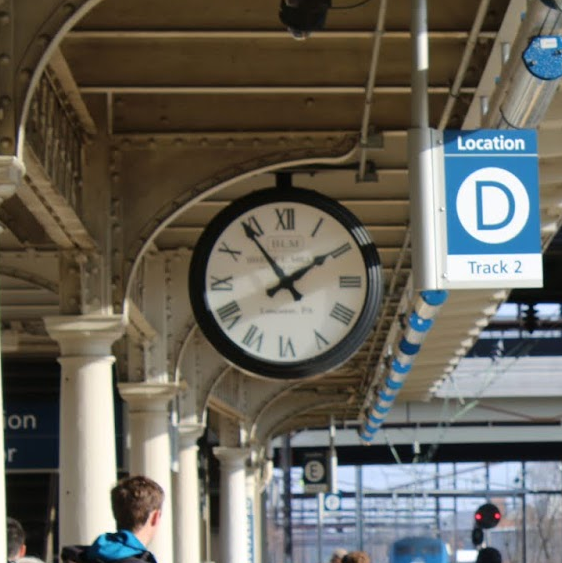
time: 1:53
